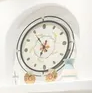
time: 6:54
